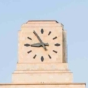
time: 8:54
